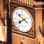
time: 7:51
